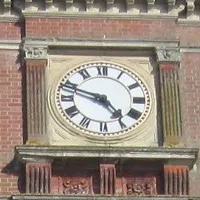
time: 4:48
